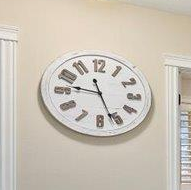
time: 9:26
